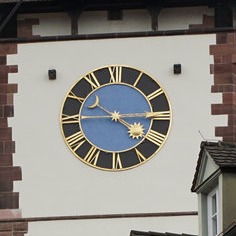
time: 4:14
